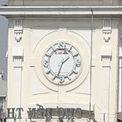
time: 1:33
